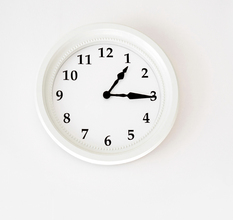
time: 1:15
